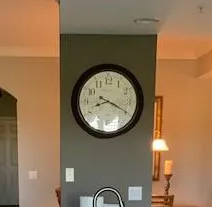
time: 8:19
